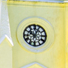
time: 10:04
